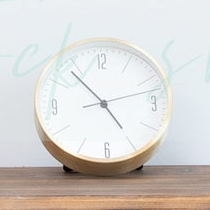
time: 4:53
